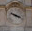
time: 3:48
